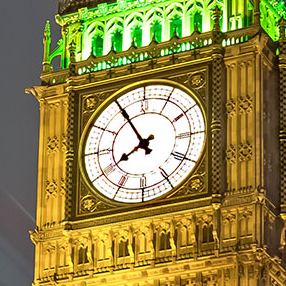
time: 7:54
